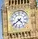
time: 4:38
